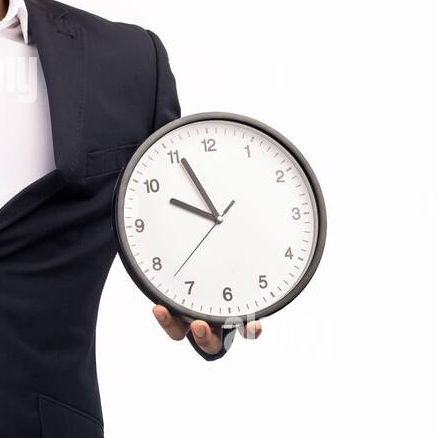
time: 9:55
